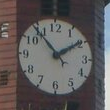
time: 1:53
